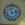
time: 11:12
